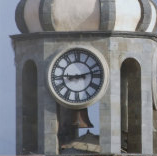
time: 9:12
